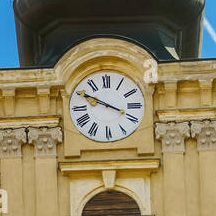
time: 3:49
